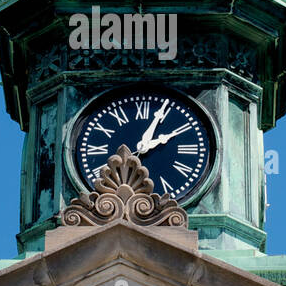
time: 2:04
